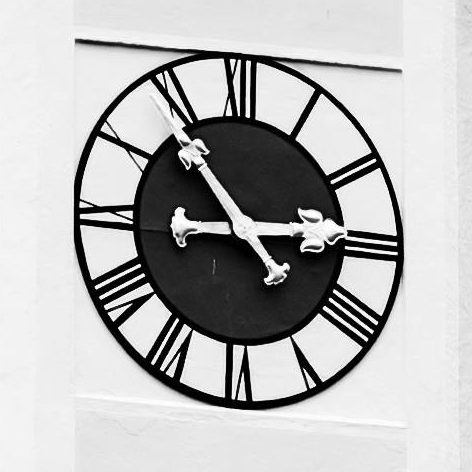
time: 2:53
